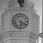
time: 5:20
